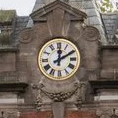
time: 12:10
